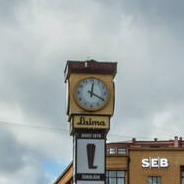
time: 12:19
